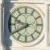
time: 9:40
